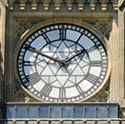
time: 1:49
